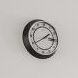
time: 1:39
